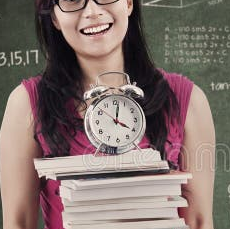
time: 4:02
